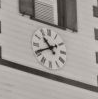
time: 10:40
